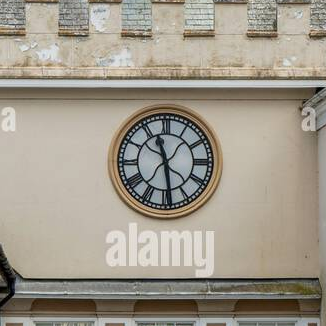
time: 11:28
